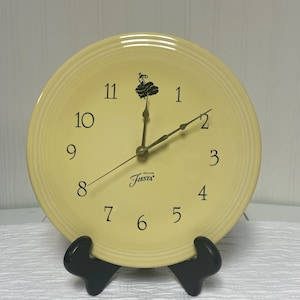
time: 12:09
